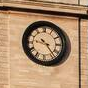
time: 9:23
